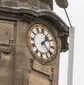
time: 1:21
